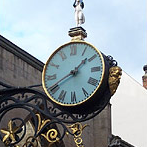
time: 1:40
